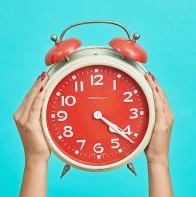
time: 4:21
